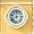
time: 7:59
